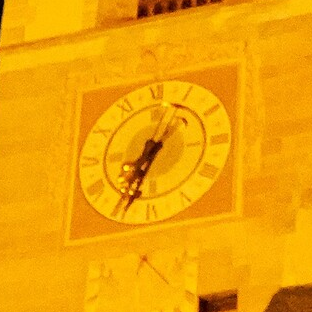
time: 7:34
